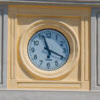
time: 11:19
